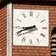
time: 8:41
